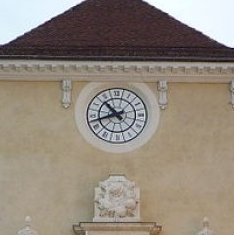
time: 10:42
